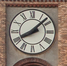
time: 8:07
